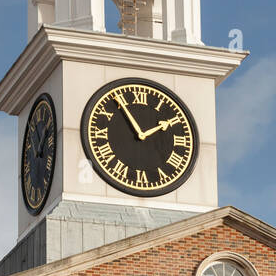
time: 1:54
